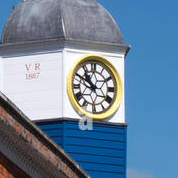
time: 10:50
